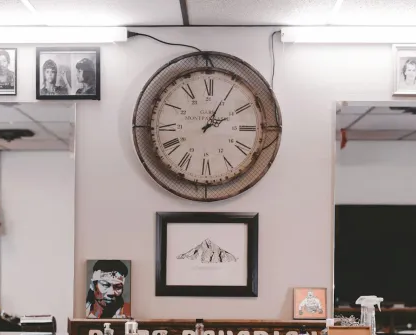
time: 2:04
